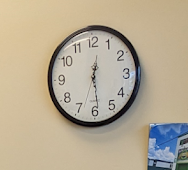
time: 12:29
